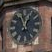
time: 12:57
